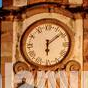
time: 6:08
